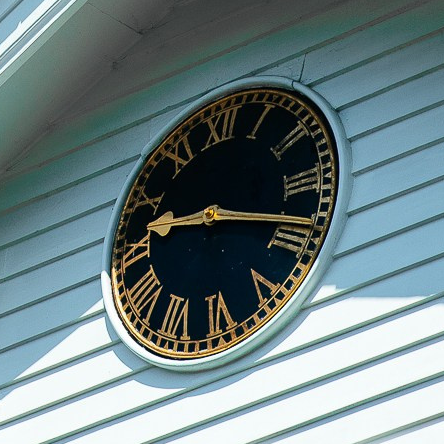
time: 9:18
